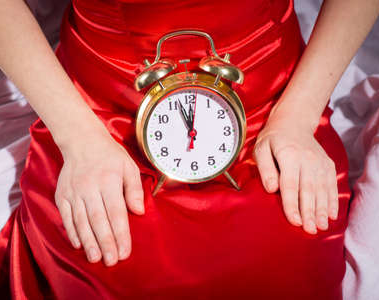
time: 11:56
